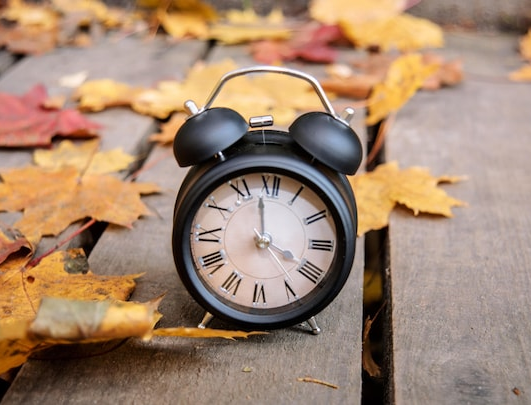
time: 3:58
